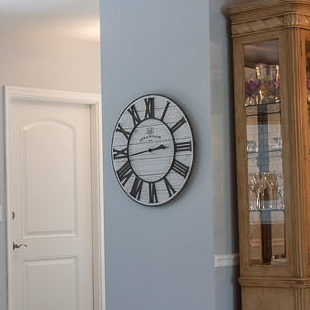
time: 2:43
